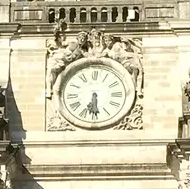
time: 6:29
